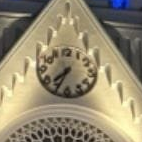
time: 7:34
